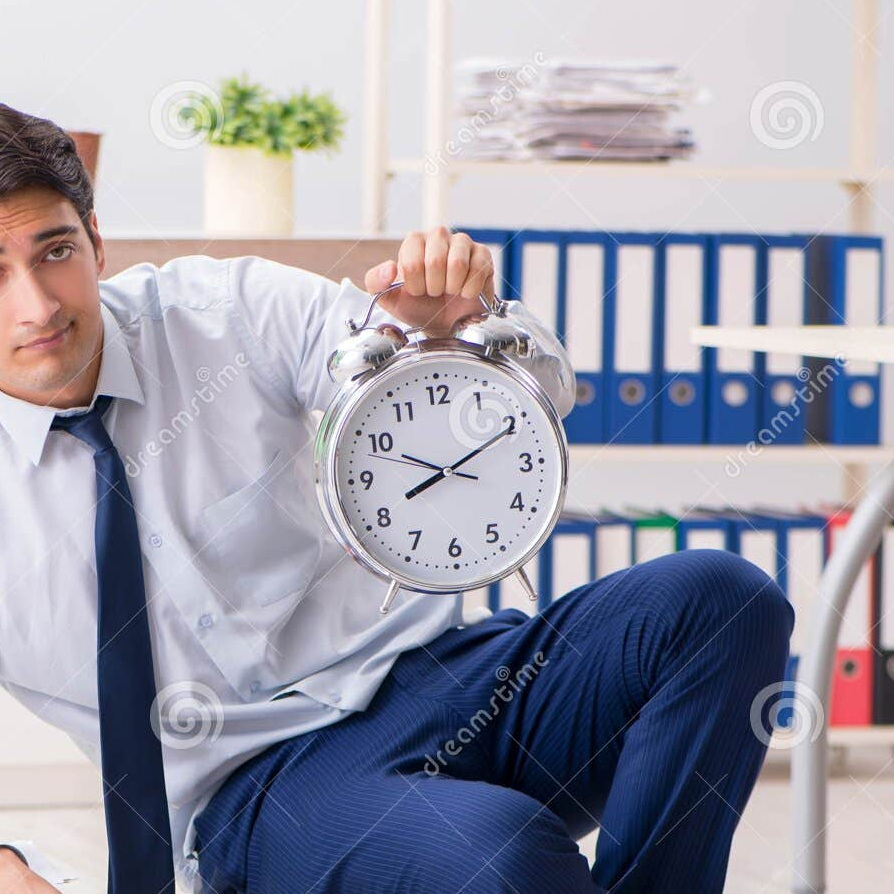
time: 8:10
